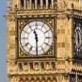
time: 11:29
